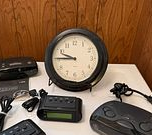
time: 9:45
